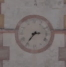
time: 2:35
